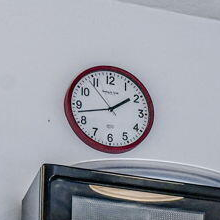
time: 1:42
